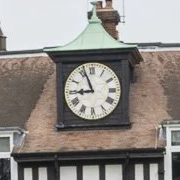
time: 8:56
